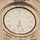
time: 6:27
